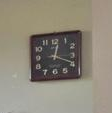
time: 12:19
